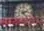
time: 2:23
